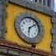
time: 6:08
